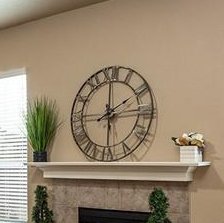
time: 2:00
